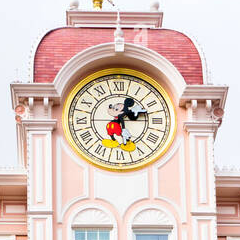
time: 1:12
